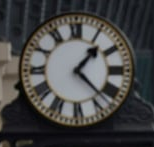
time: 1:22
